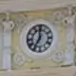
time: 6:59
